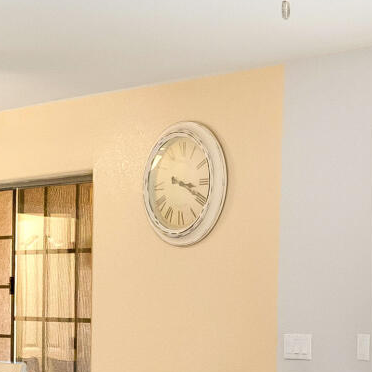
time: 3:18
